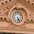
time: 5:24
